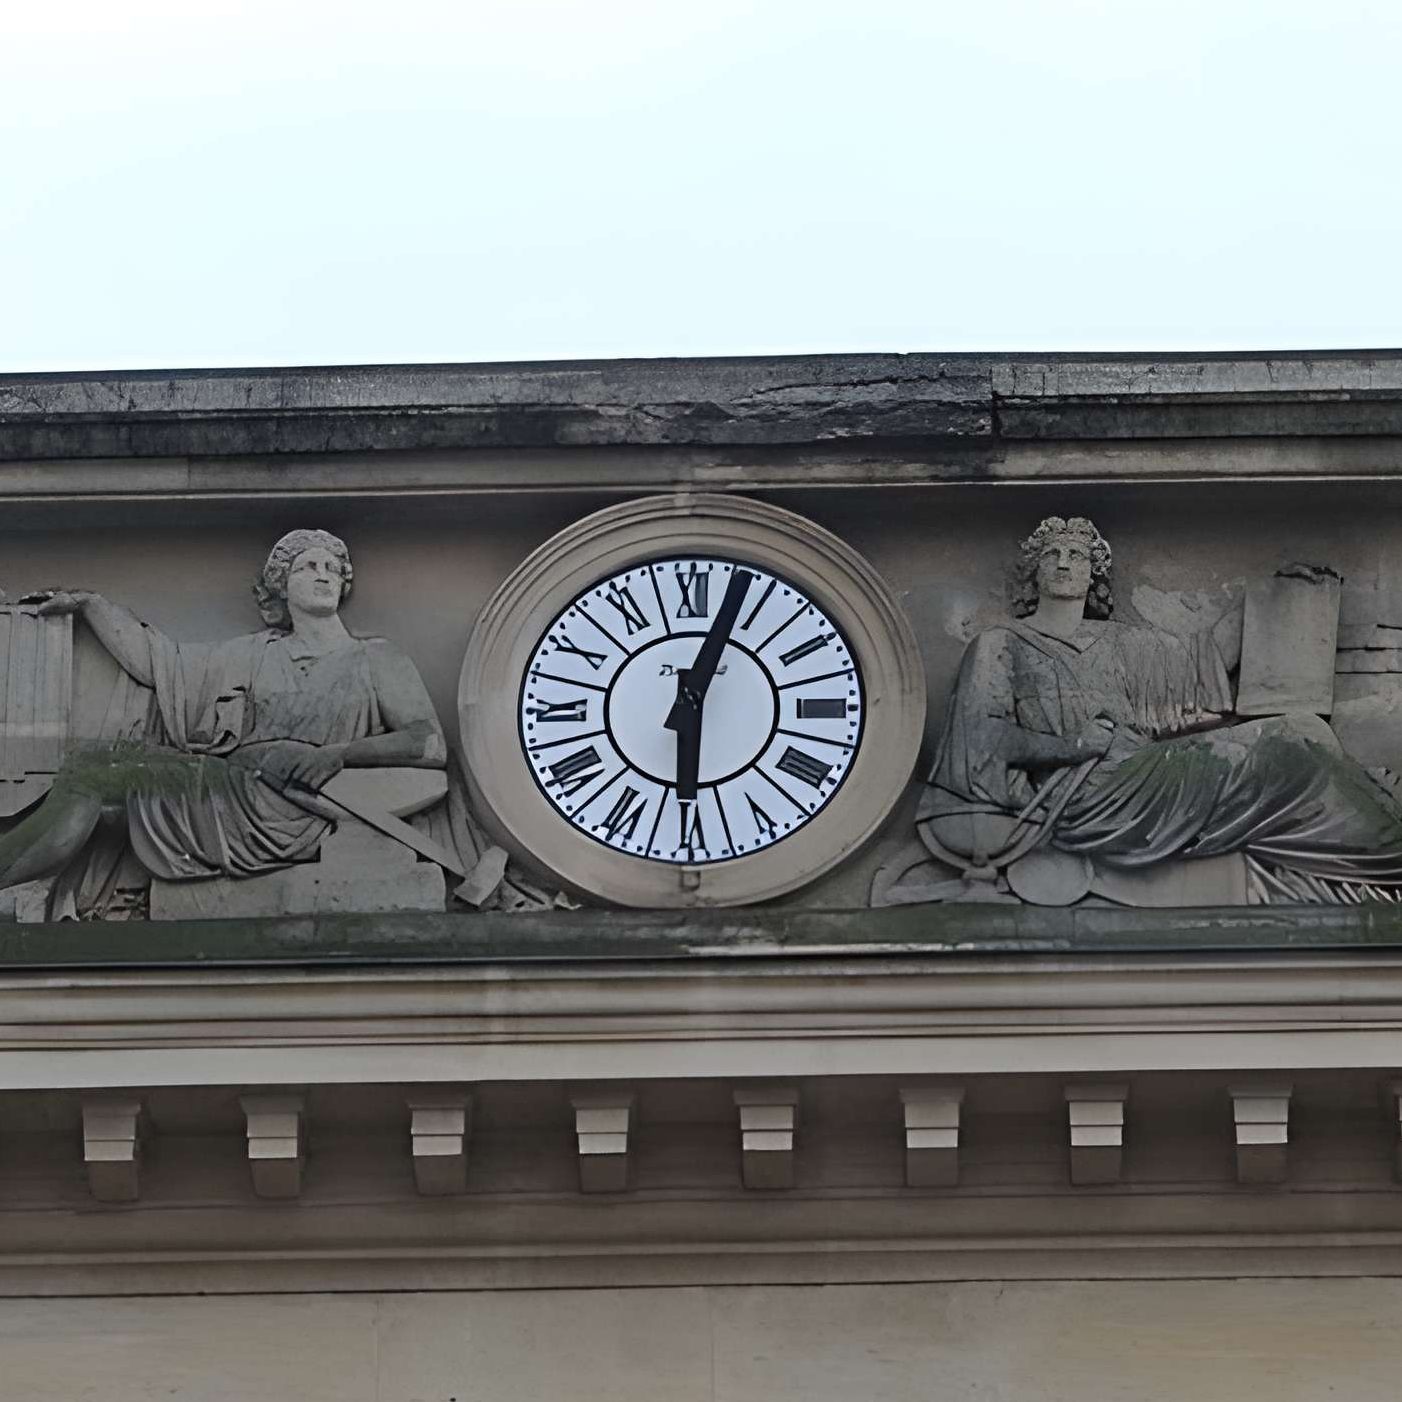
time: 6:03
